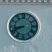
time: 8:41
